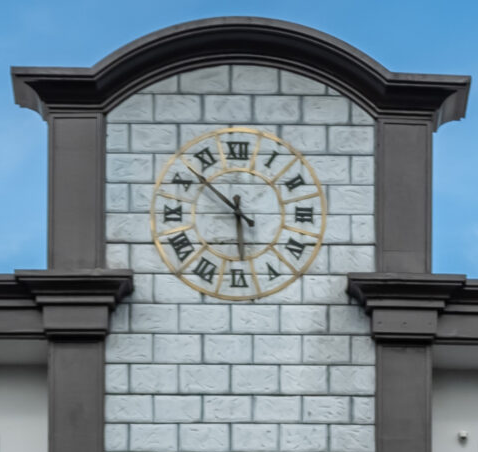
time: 5:52
